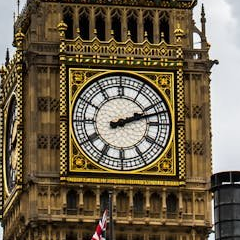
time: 2:11
